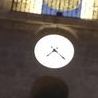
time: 7:21
